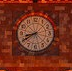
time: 8:40
